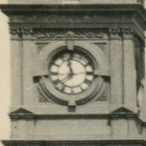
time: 11:37
